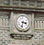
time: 3:32
